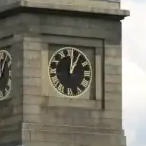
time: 1:01
